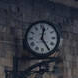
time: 12:24
